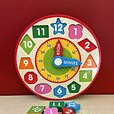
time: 12:16
